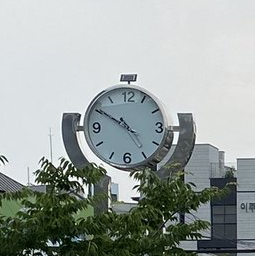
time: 4:50
